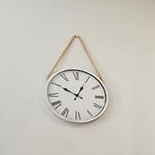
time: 12:49
